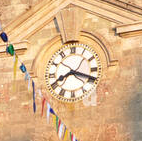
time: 8:18
